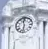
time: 11:32
